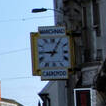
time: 9:04
